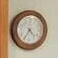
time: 4:35
